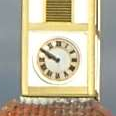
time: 9:50
